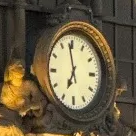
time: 6:58
